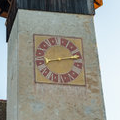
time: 8:12
